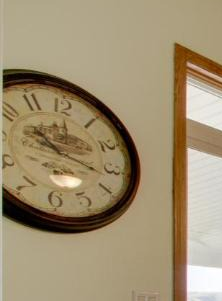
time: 10:17
